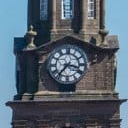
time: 7:17
